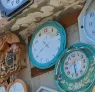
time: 10:40
